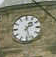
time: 1:27
